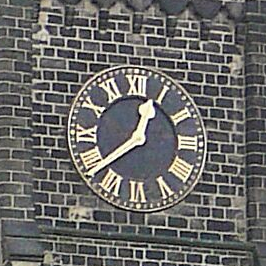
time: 12:39
